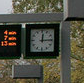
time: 12:14
